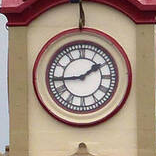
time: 1:44
